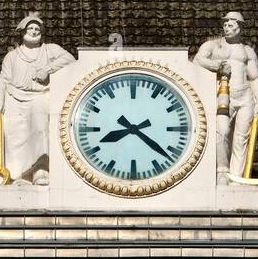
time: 8:21
